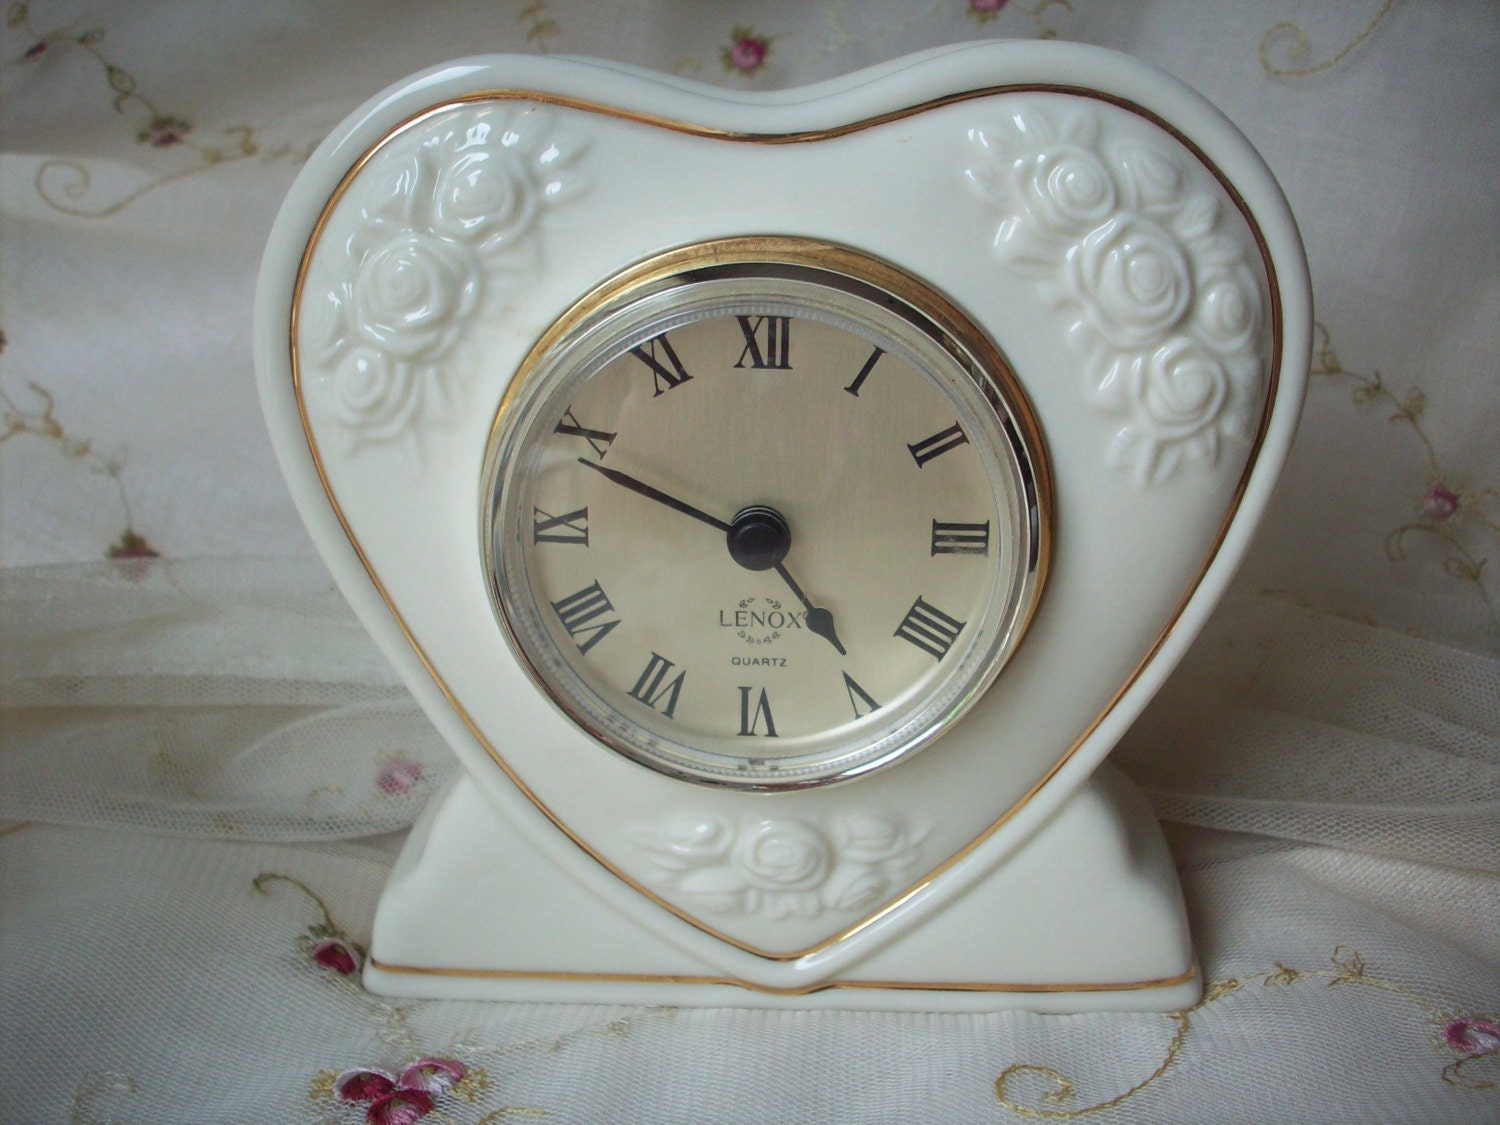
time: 4:48
